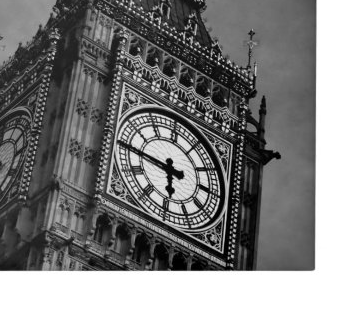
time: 5:45
